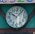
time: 10:07
